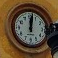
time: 12:01
